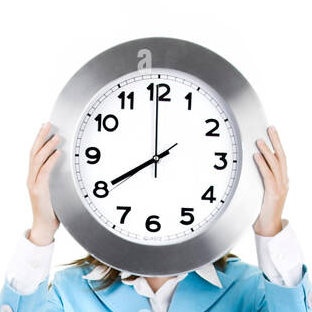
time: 7:59
